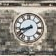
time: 8:38
